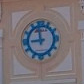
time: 8:58
